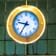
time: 9:35
